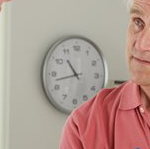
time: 10:42
